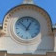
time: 12:52
